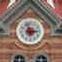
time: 2:57
